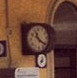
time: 11:21
